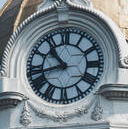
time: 10:42
